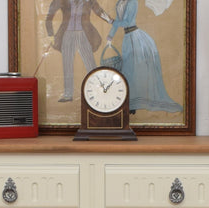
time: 11:07
